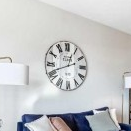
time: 12:41
